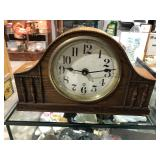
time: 9:13
